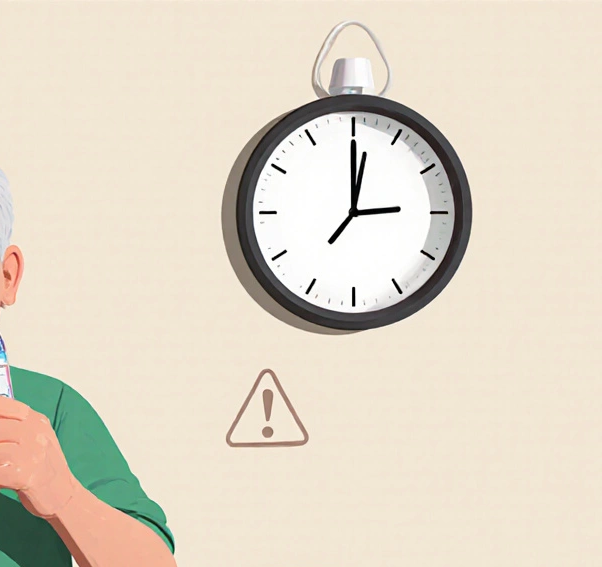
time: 2:59
